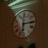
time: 6:14
